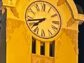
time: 7:42
